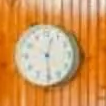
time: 12:29
